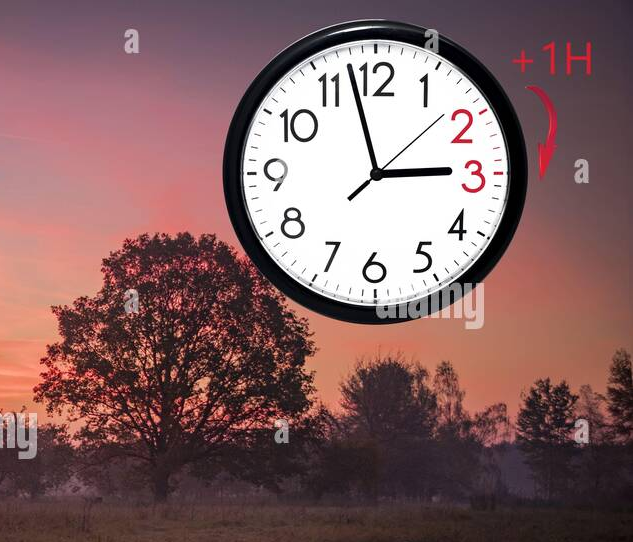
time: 2:57
